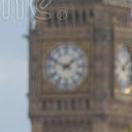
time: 1:49
